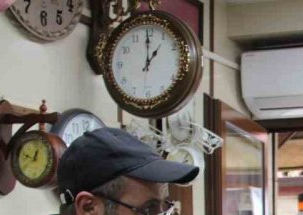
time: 12:59
